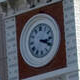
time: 3:19
